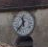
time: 11:36
